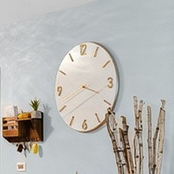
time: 3:41
